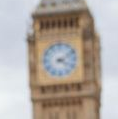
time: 4:10
